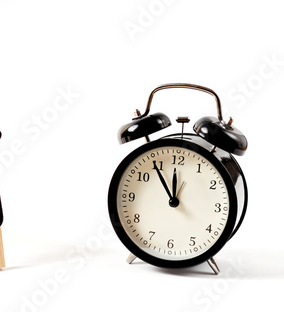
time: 11:54
